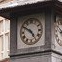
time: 4:50
